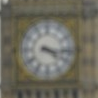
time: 4:16
